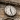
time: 4:59
